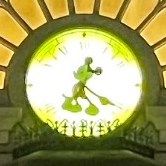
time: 12:20
